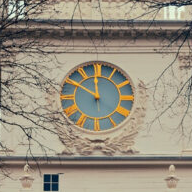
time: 11:50
